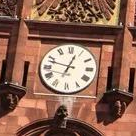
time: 12:47
